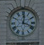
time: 12:18
